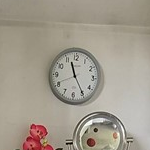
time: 11:24
